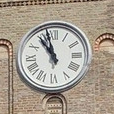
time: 10:57
